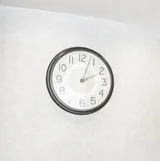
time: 2:03
